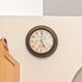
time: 5:00
